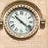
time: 10:21
